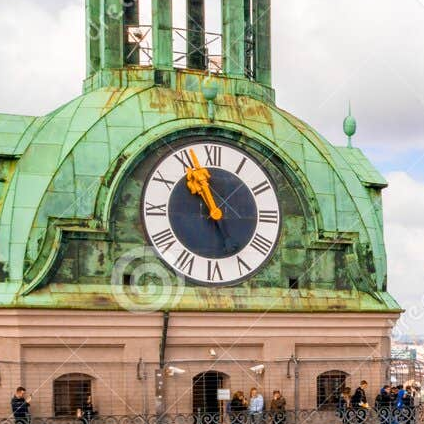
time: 10:56
